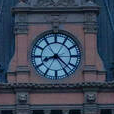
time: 8:22
